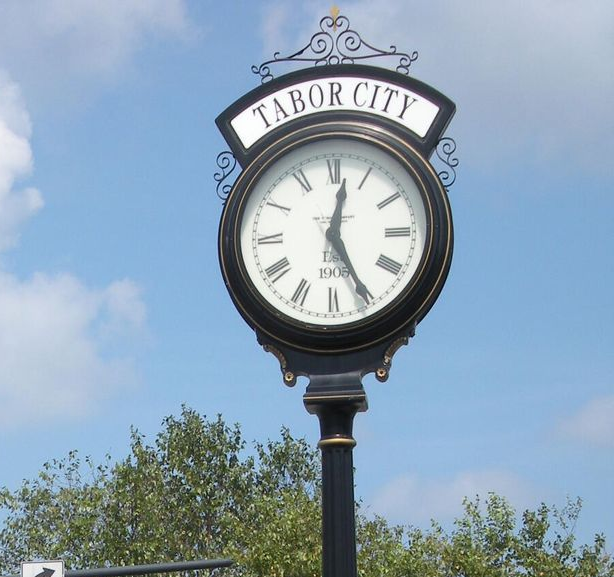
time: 12:25
